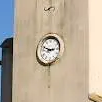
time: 2:48
